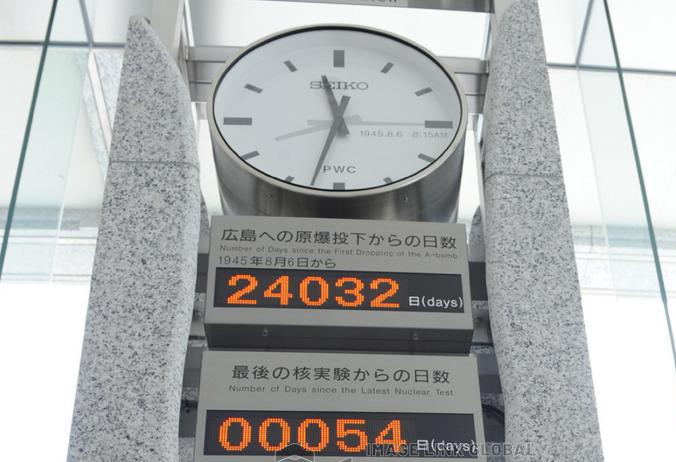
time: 11:32
